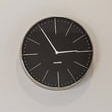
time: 2:55
